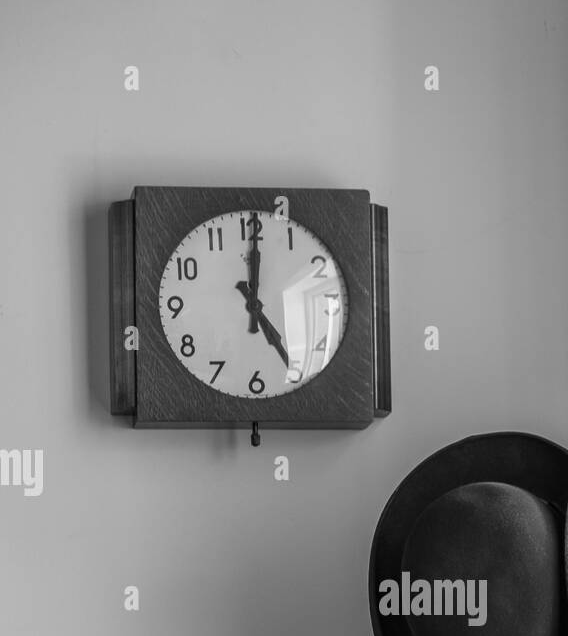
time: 5:00
